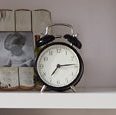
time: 7:14
